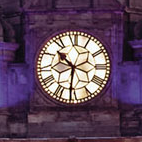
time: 10:31
